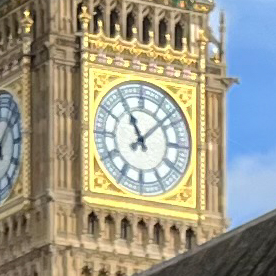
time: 11:07
